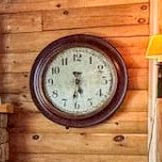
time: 5:31
